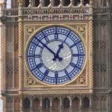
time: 12:52
